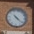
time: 4:21
